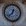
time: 12:37
